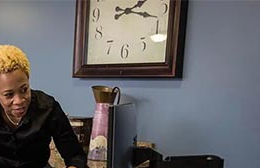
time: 2:17
